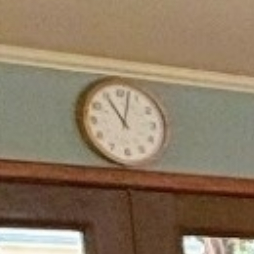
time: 11:02
